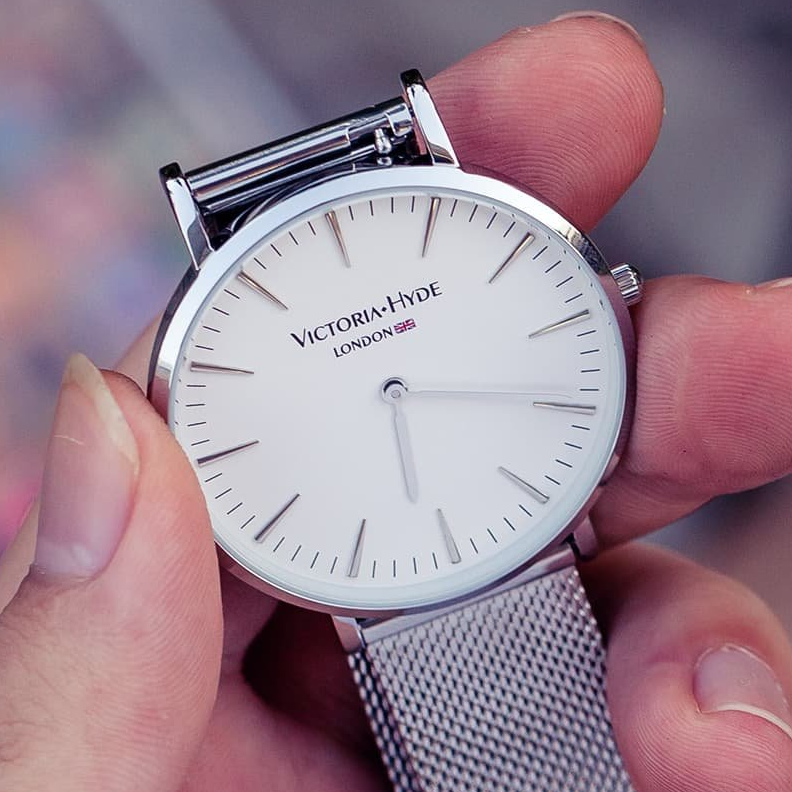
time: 5:14
